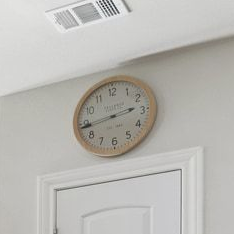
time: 2:43
